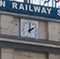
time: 2:00
